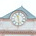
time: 11:28
